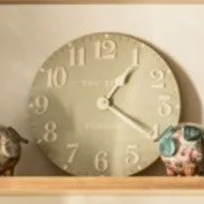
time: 1:20
